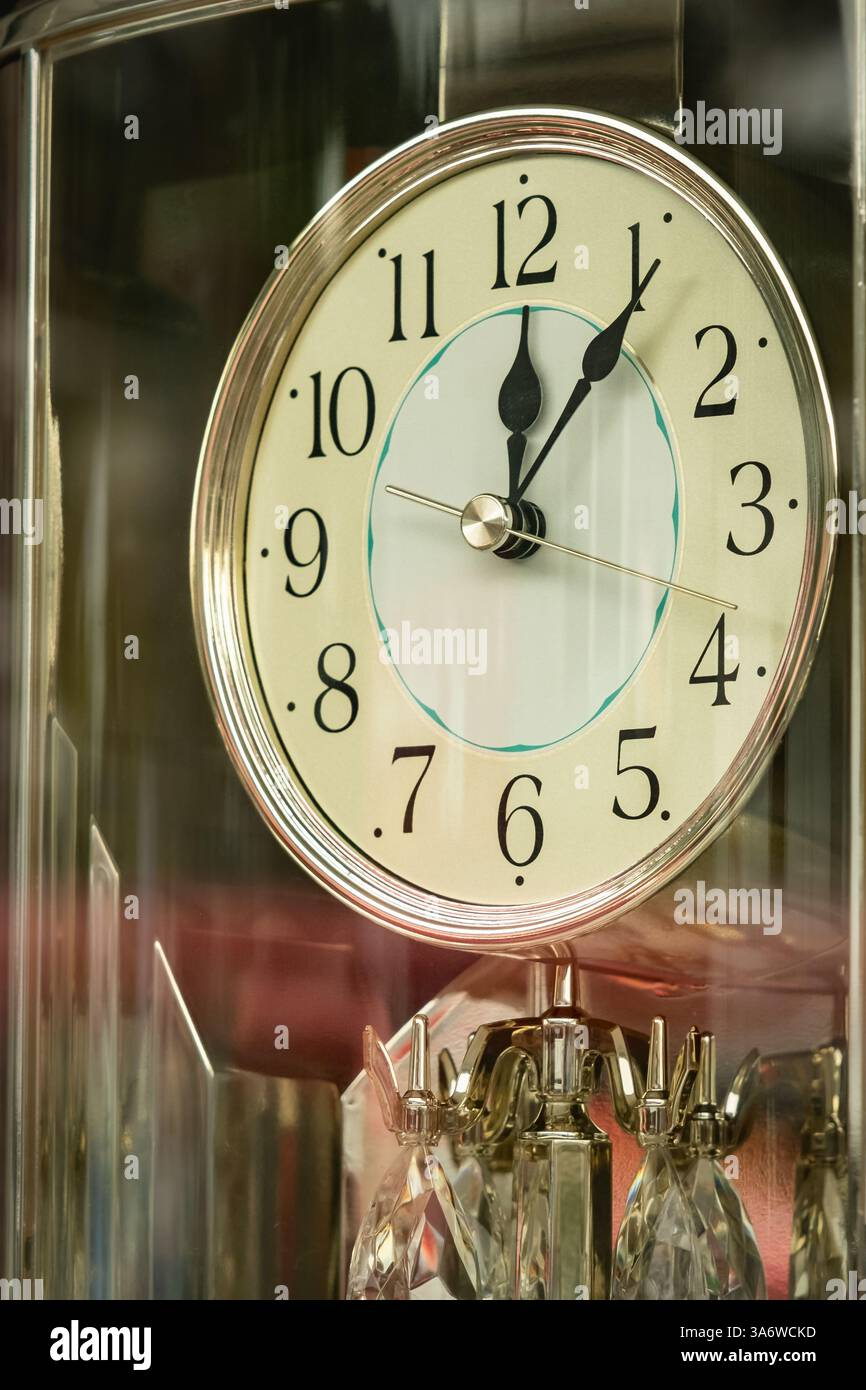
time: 12:05
